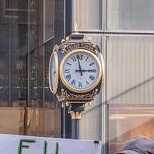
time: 2:58
